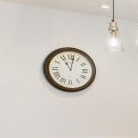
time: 11:01
